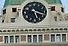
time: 5:17
